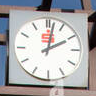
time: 2:01
